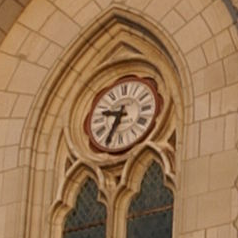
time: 9:34
